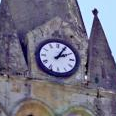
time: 2:05
